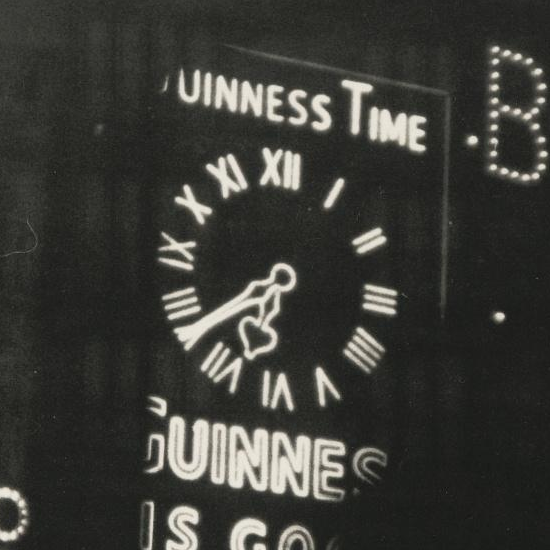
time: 6:38
